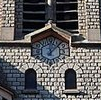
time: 12:07
